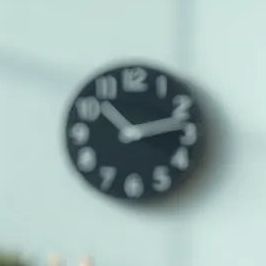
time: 10:12
